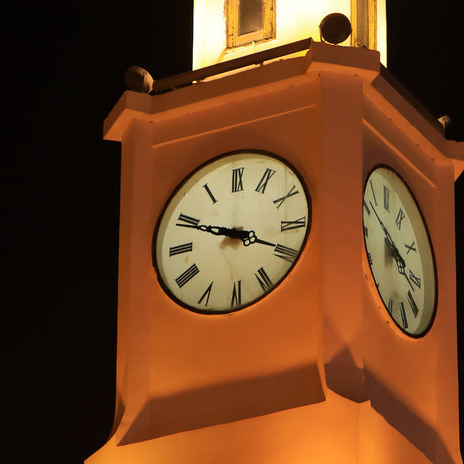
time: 3:48
